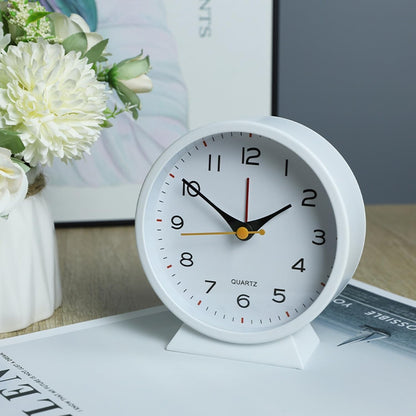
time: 1:50
